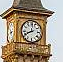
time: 11:41
